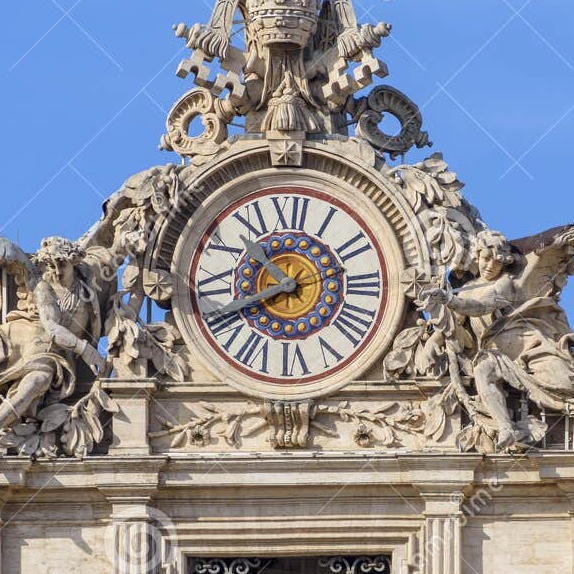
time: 10:40
